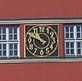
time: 9:48
